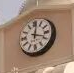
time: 12:18
